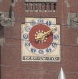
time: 8:09
